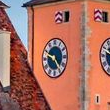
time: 4:48
